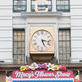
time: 5:16
